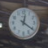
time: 12:20
